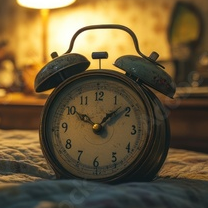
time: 1:51
